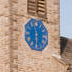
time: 5:58
